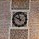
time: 9:57
